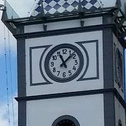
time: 11:07
